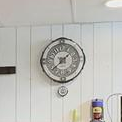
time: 1:37
